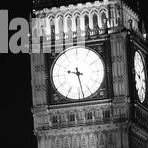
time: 9:28
